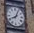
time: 8:04
